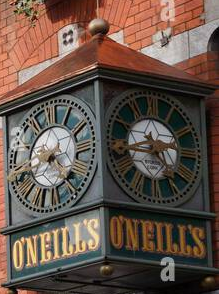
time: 4:42
